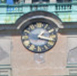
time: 9:16
